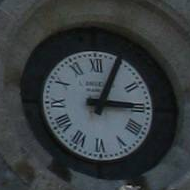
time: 3:04
